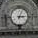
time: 3:04
